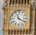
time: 11:19
